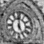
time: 4:59
